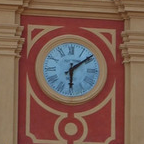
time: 6:08
